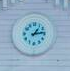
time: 1:13
